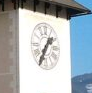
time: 1:35
